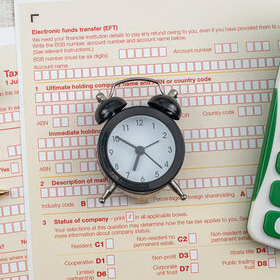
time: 6:50
